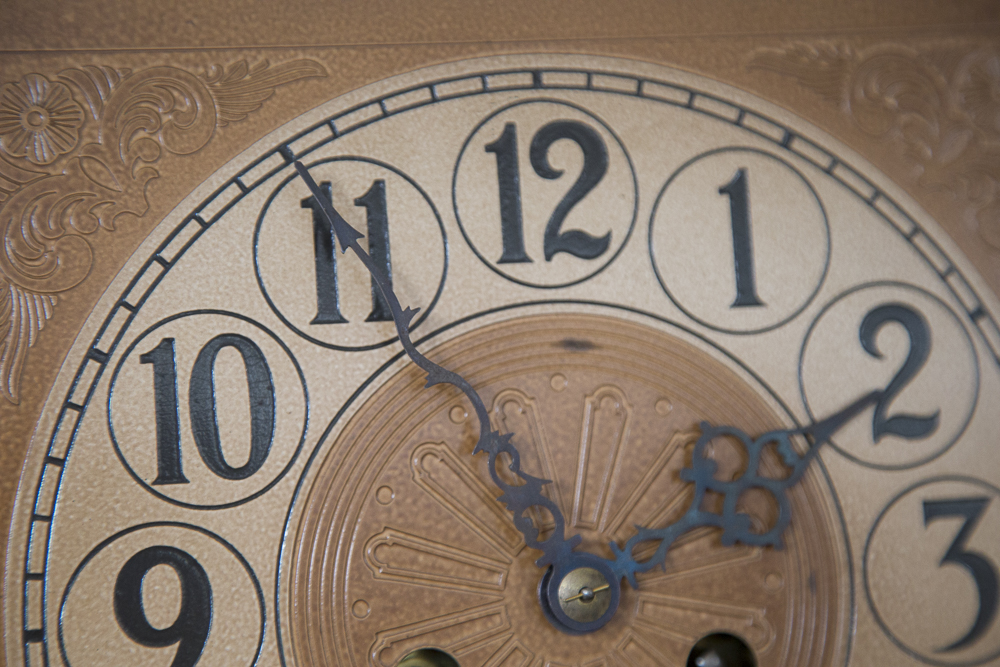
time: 1:55
